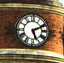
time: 5:11
